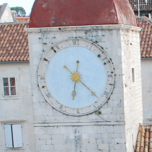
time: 6:22
